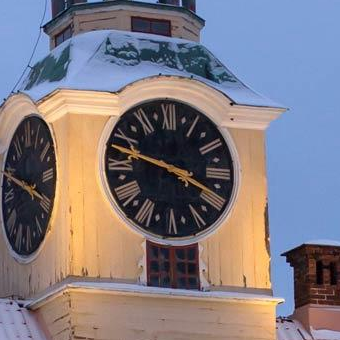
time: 3:47
